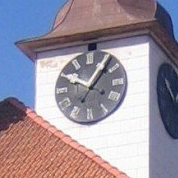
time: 10:05
